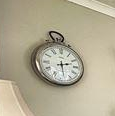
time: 2:28
